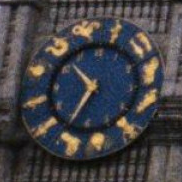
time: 6:52
